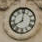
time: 8:01
